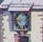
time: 8:12
